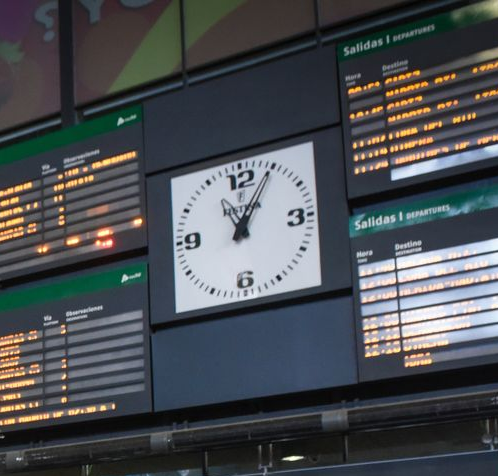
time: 11:04
